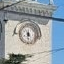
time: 4:29
